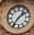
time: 1:36
